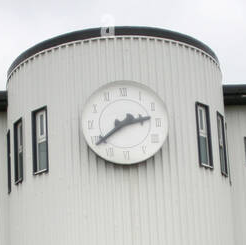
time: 2:39
